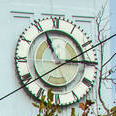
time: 11:14
